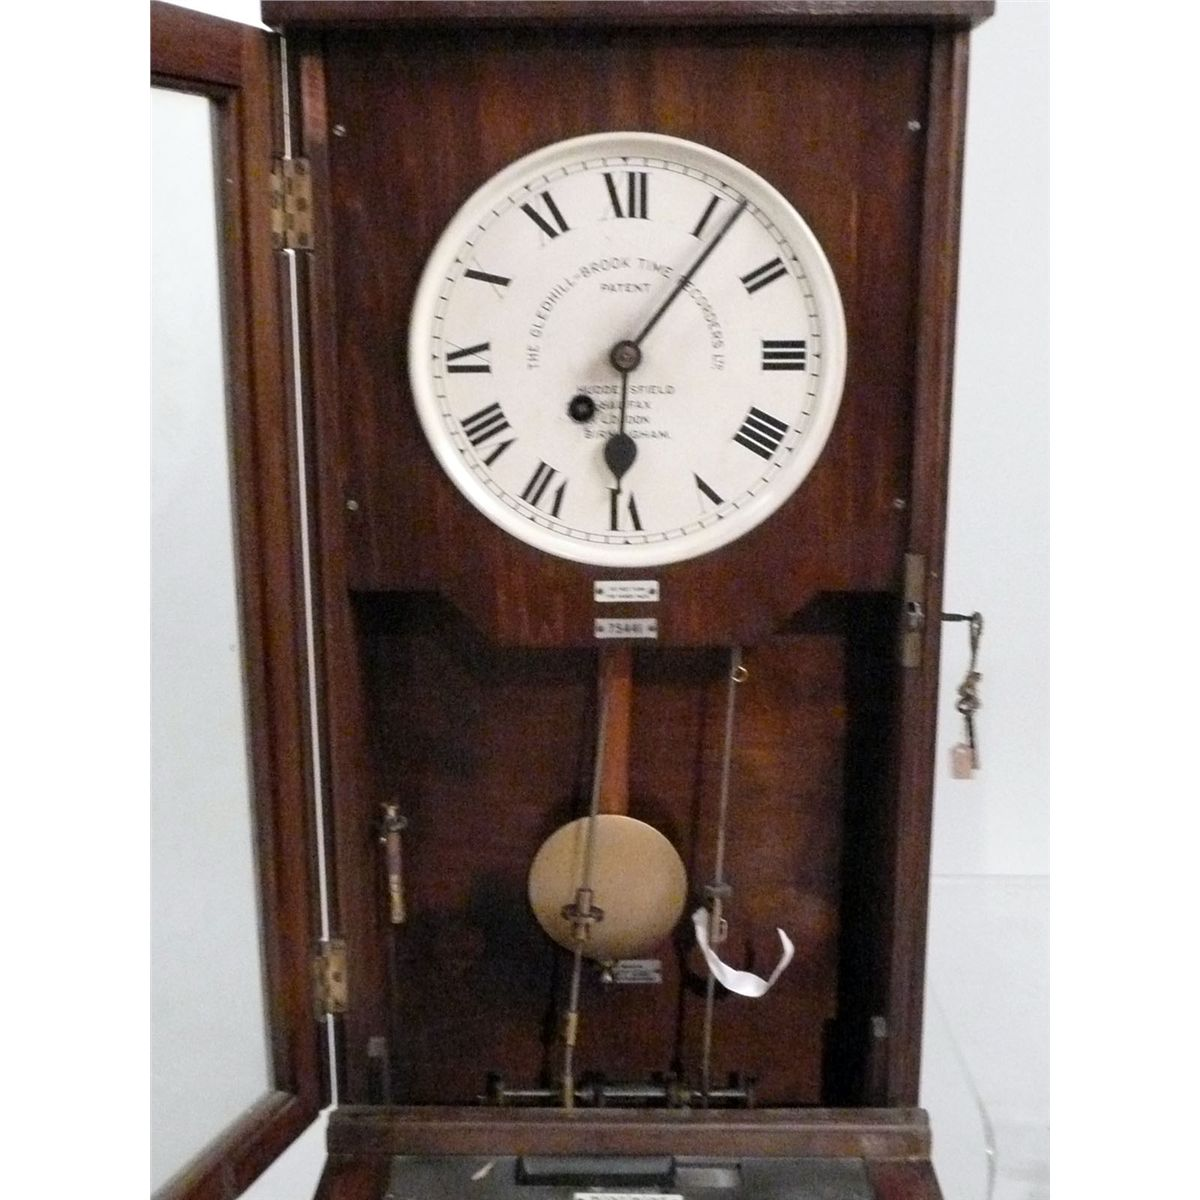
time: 6:06
